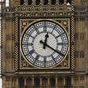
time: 12:20
